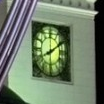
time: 8:09
